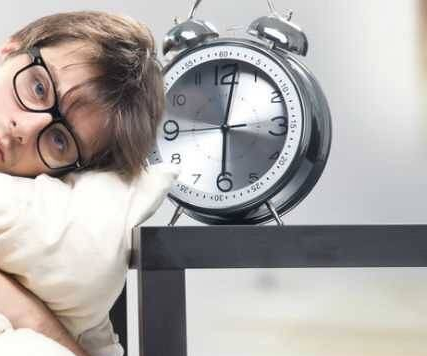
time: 6:01
